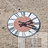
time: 2:18
